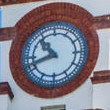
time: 10:42
